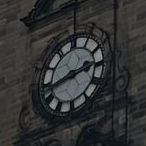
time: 2:42
